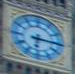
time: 6:15
